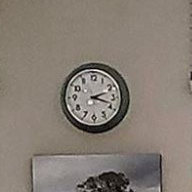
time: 2:18
